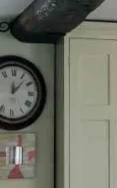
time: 12:07
